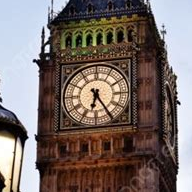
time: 6:24
